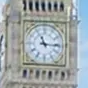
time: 11:15
